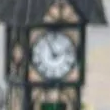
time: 11:12
